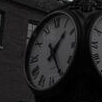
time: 1:24
